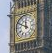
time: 11:49
